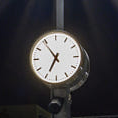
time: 6:54
